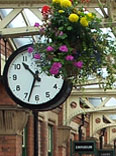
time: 10:33
